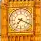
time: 7:18
